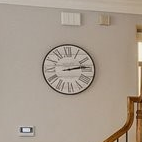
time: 2:13
